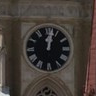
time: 12:01
